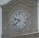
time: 9:38
